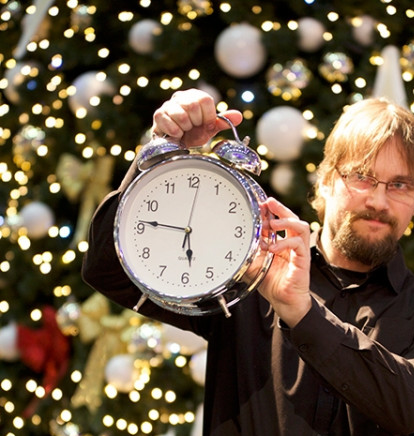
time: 5:46
